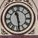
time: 11:28
